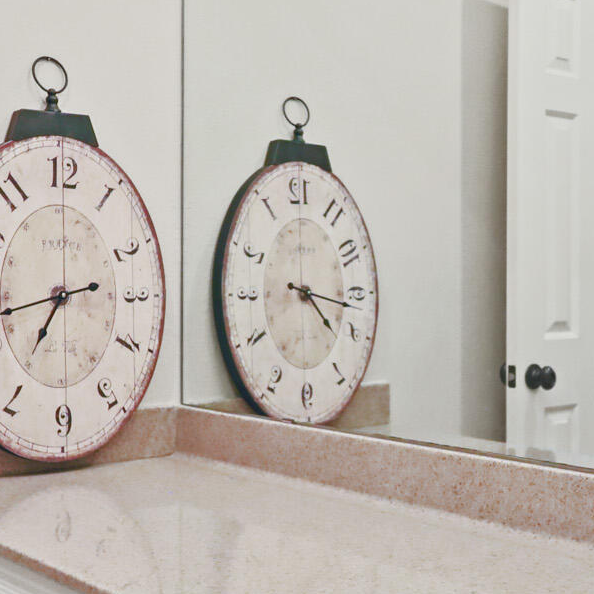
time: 4:16
